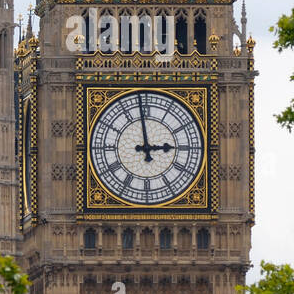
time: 2:58
